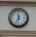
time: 11:34
